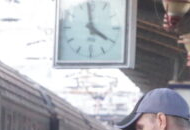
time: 3:58
